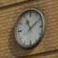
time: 11:09
